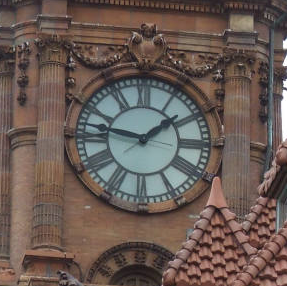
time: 1:46
